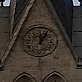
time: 12:05
